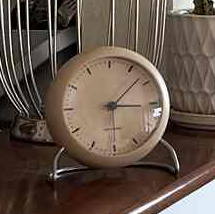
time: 3:08
